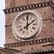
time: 2:00
